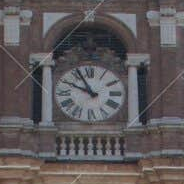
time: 9:55
